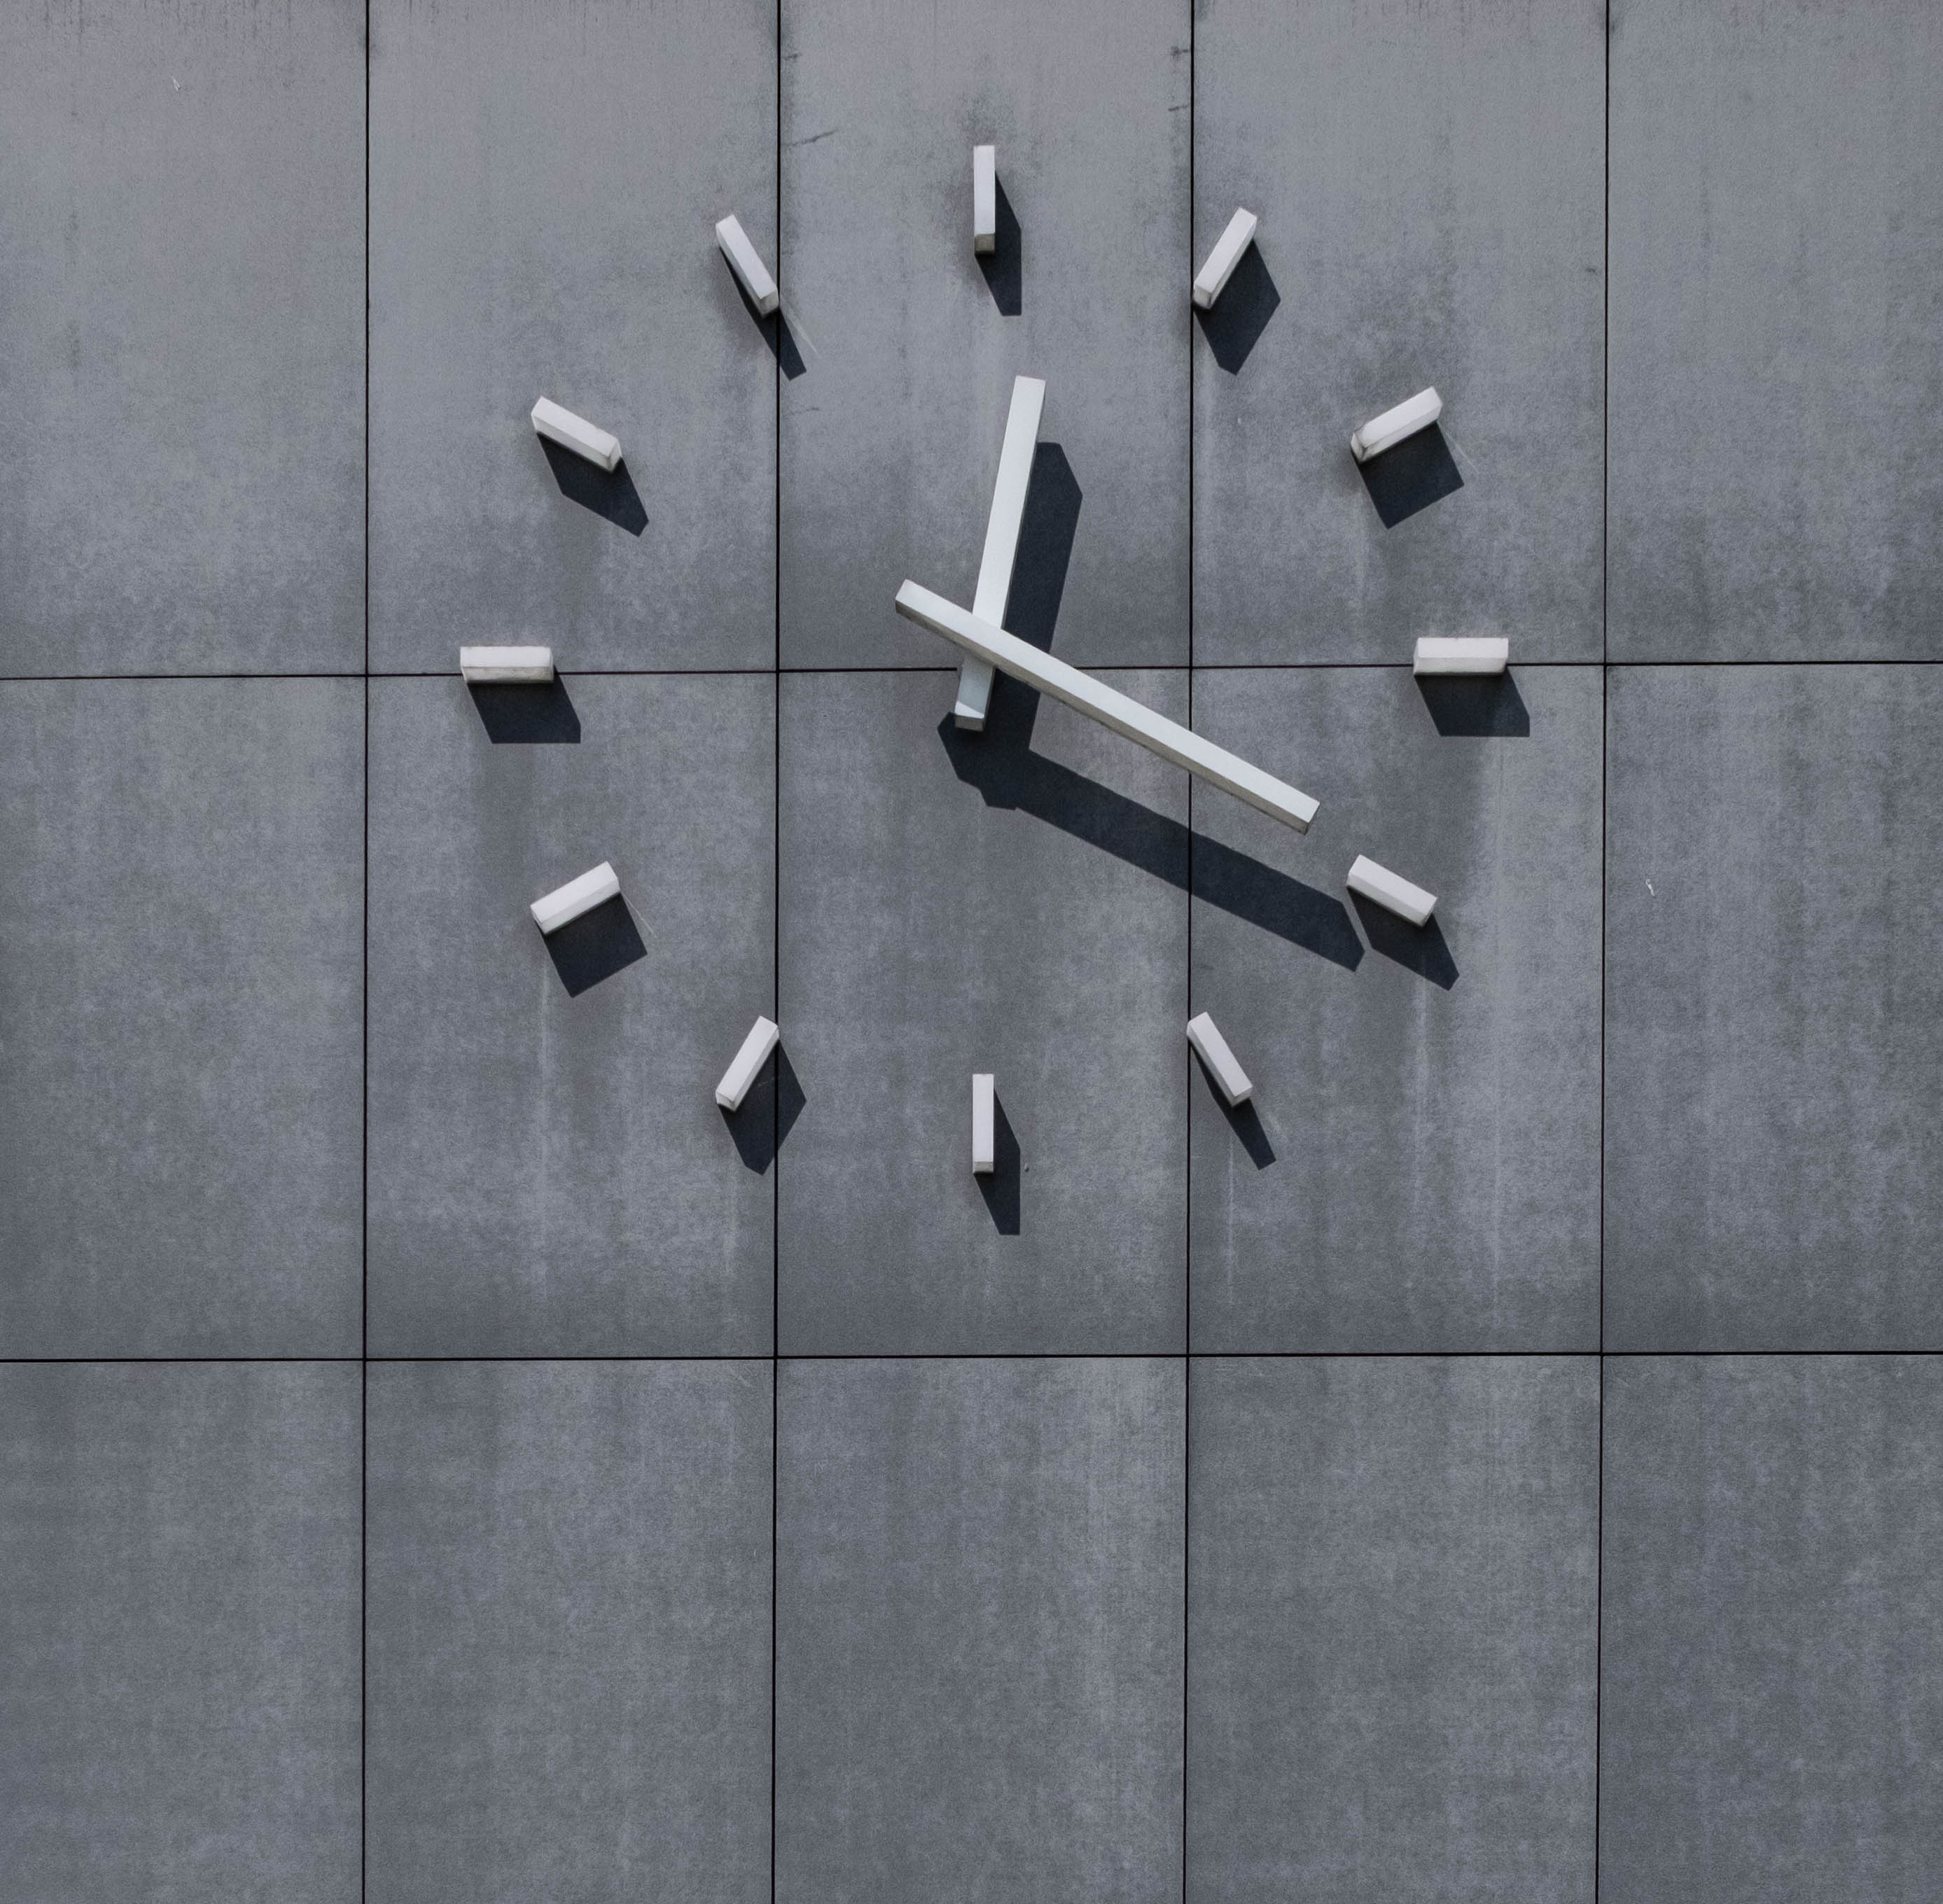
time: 12:19
